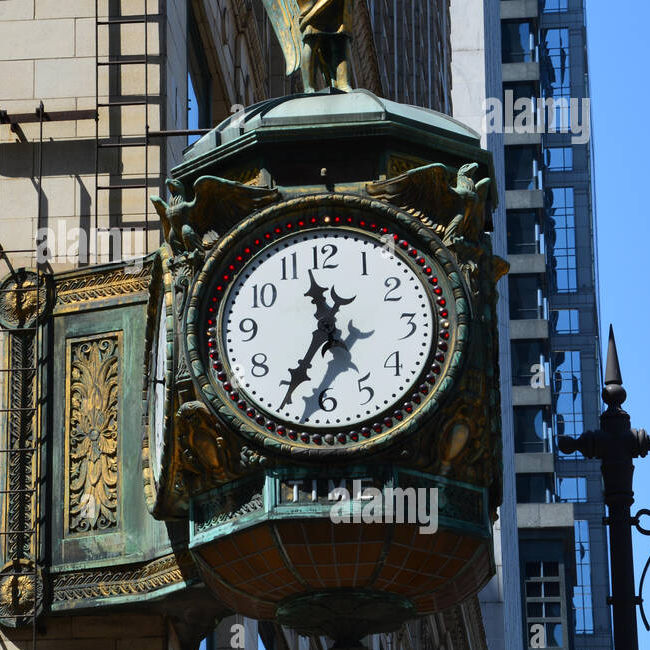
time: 11:34
